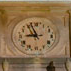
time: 8:56
